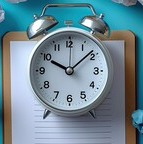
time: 10:08
